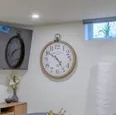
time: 4:50
